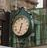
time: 6:32
